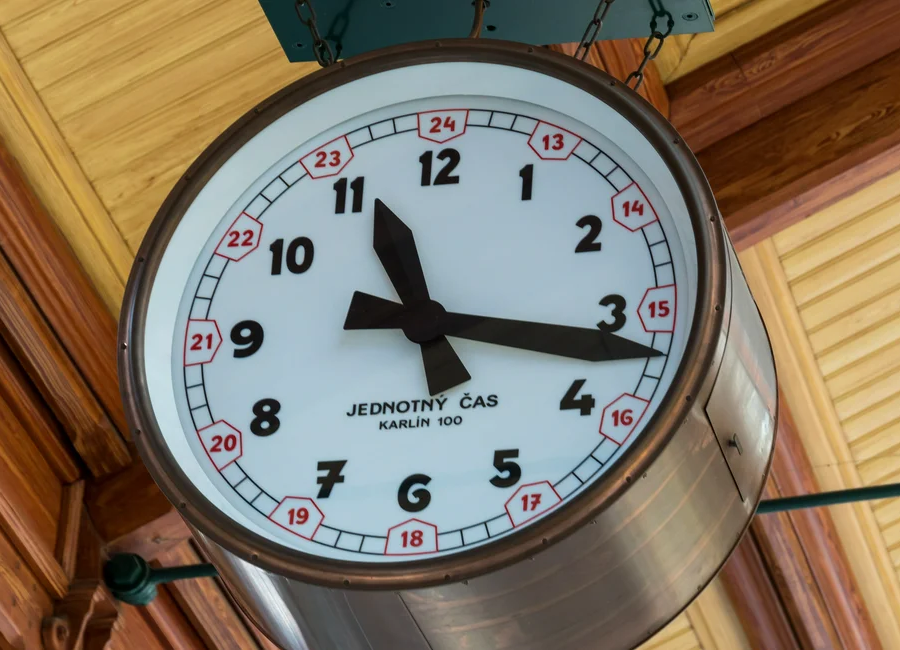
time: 11:16
